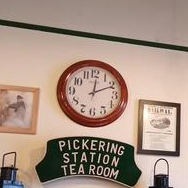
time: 12:10
